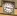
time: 9:16
